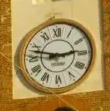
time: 2:47
